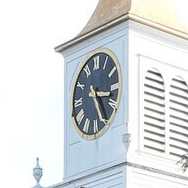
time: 3:24
